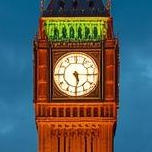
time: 5:15
